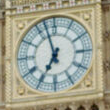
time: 6:57
